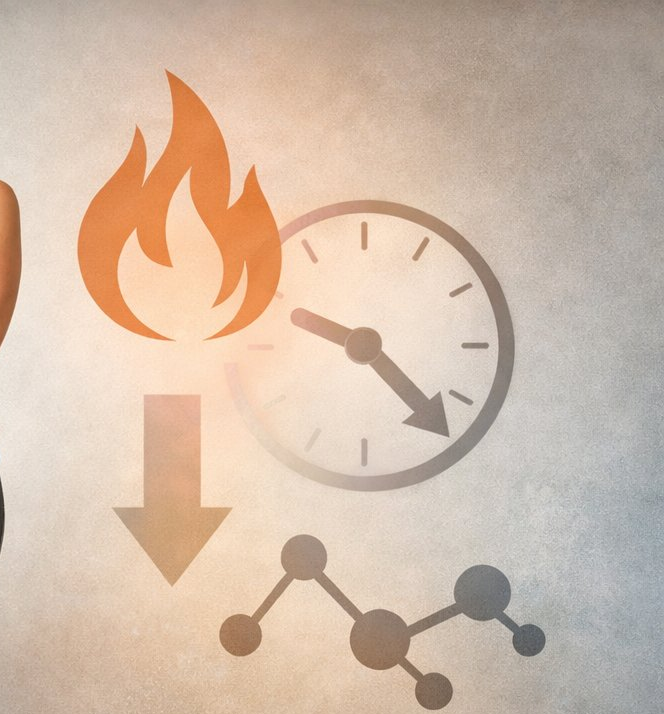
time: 9:22
